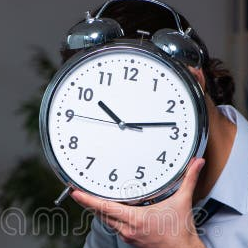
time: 10:13
